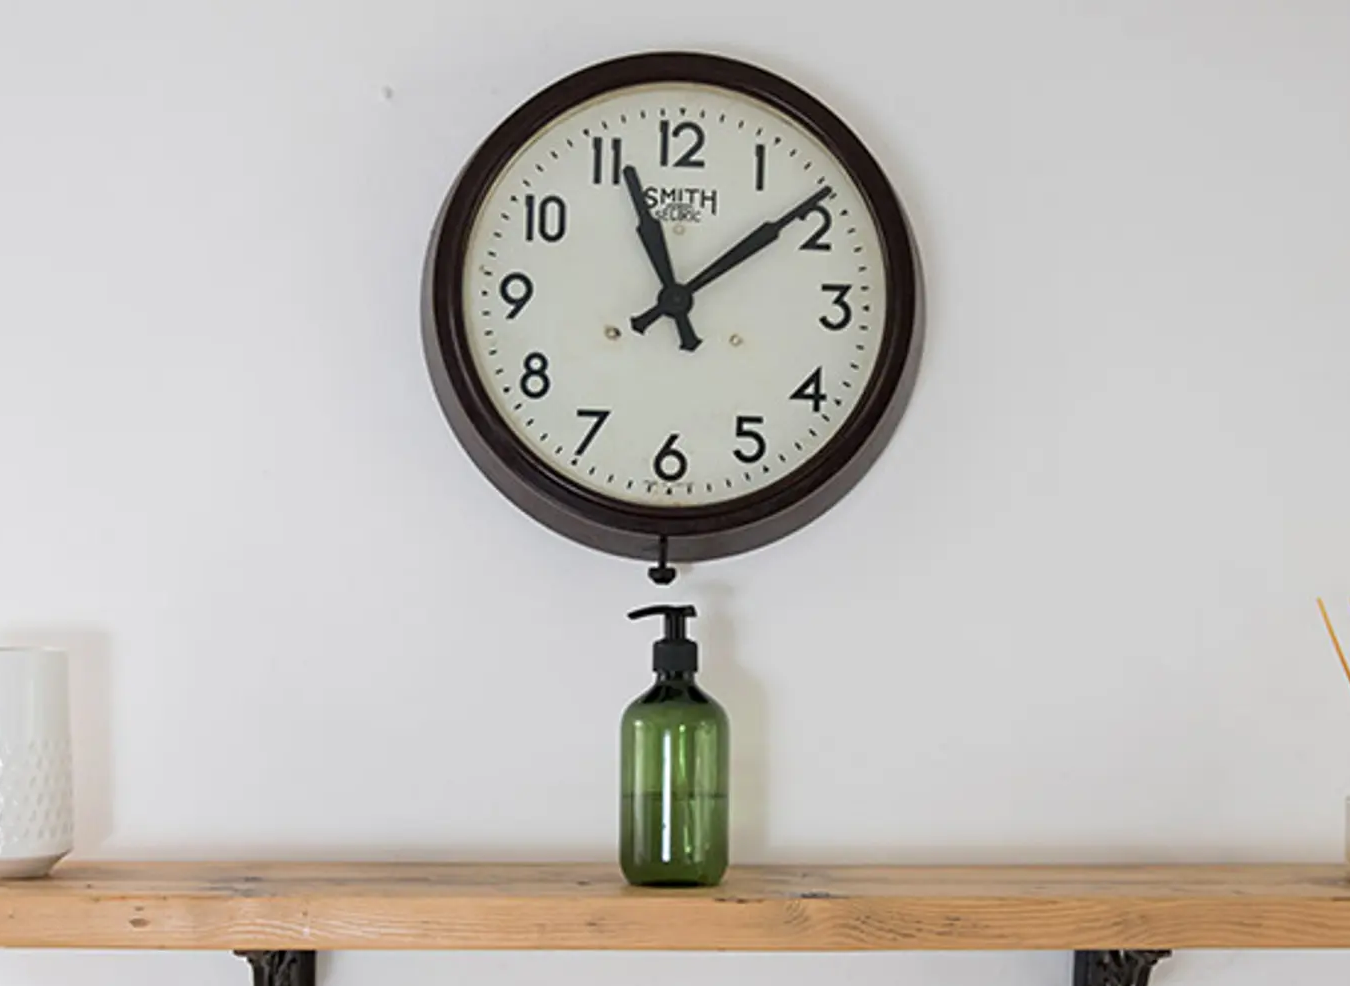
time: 11:08
